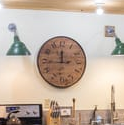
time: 11:44
